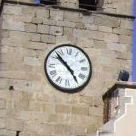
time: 4:52
